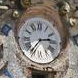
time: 2:36
